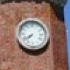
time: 7:40
